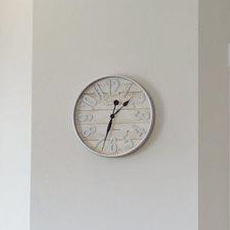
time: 1:33
